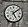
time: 5:08
